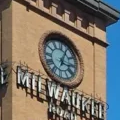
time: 3:04
